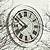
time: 7:51
